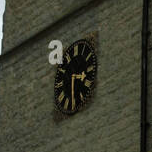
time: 3:29
